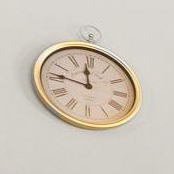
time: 11:46
